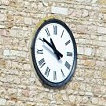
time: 10:50
